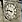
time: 9:45
